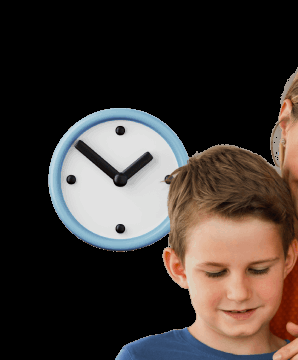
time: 1:51
